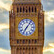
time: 7:06
